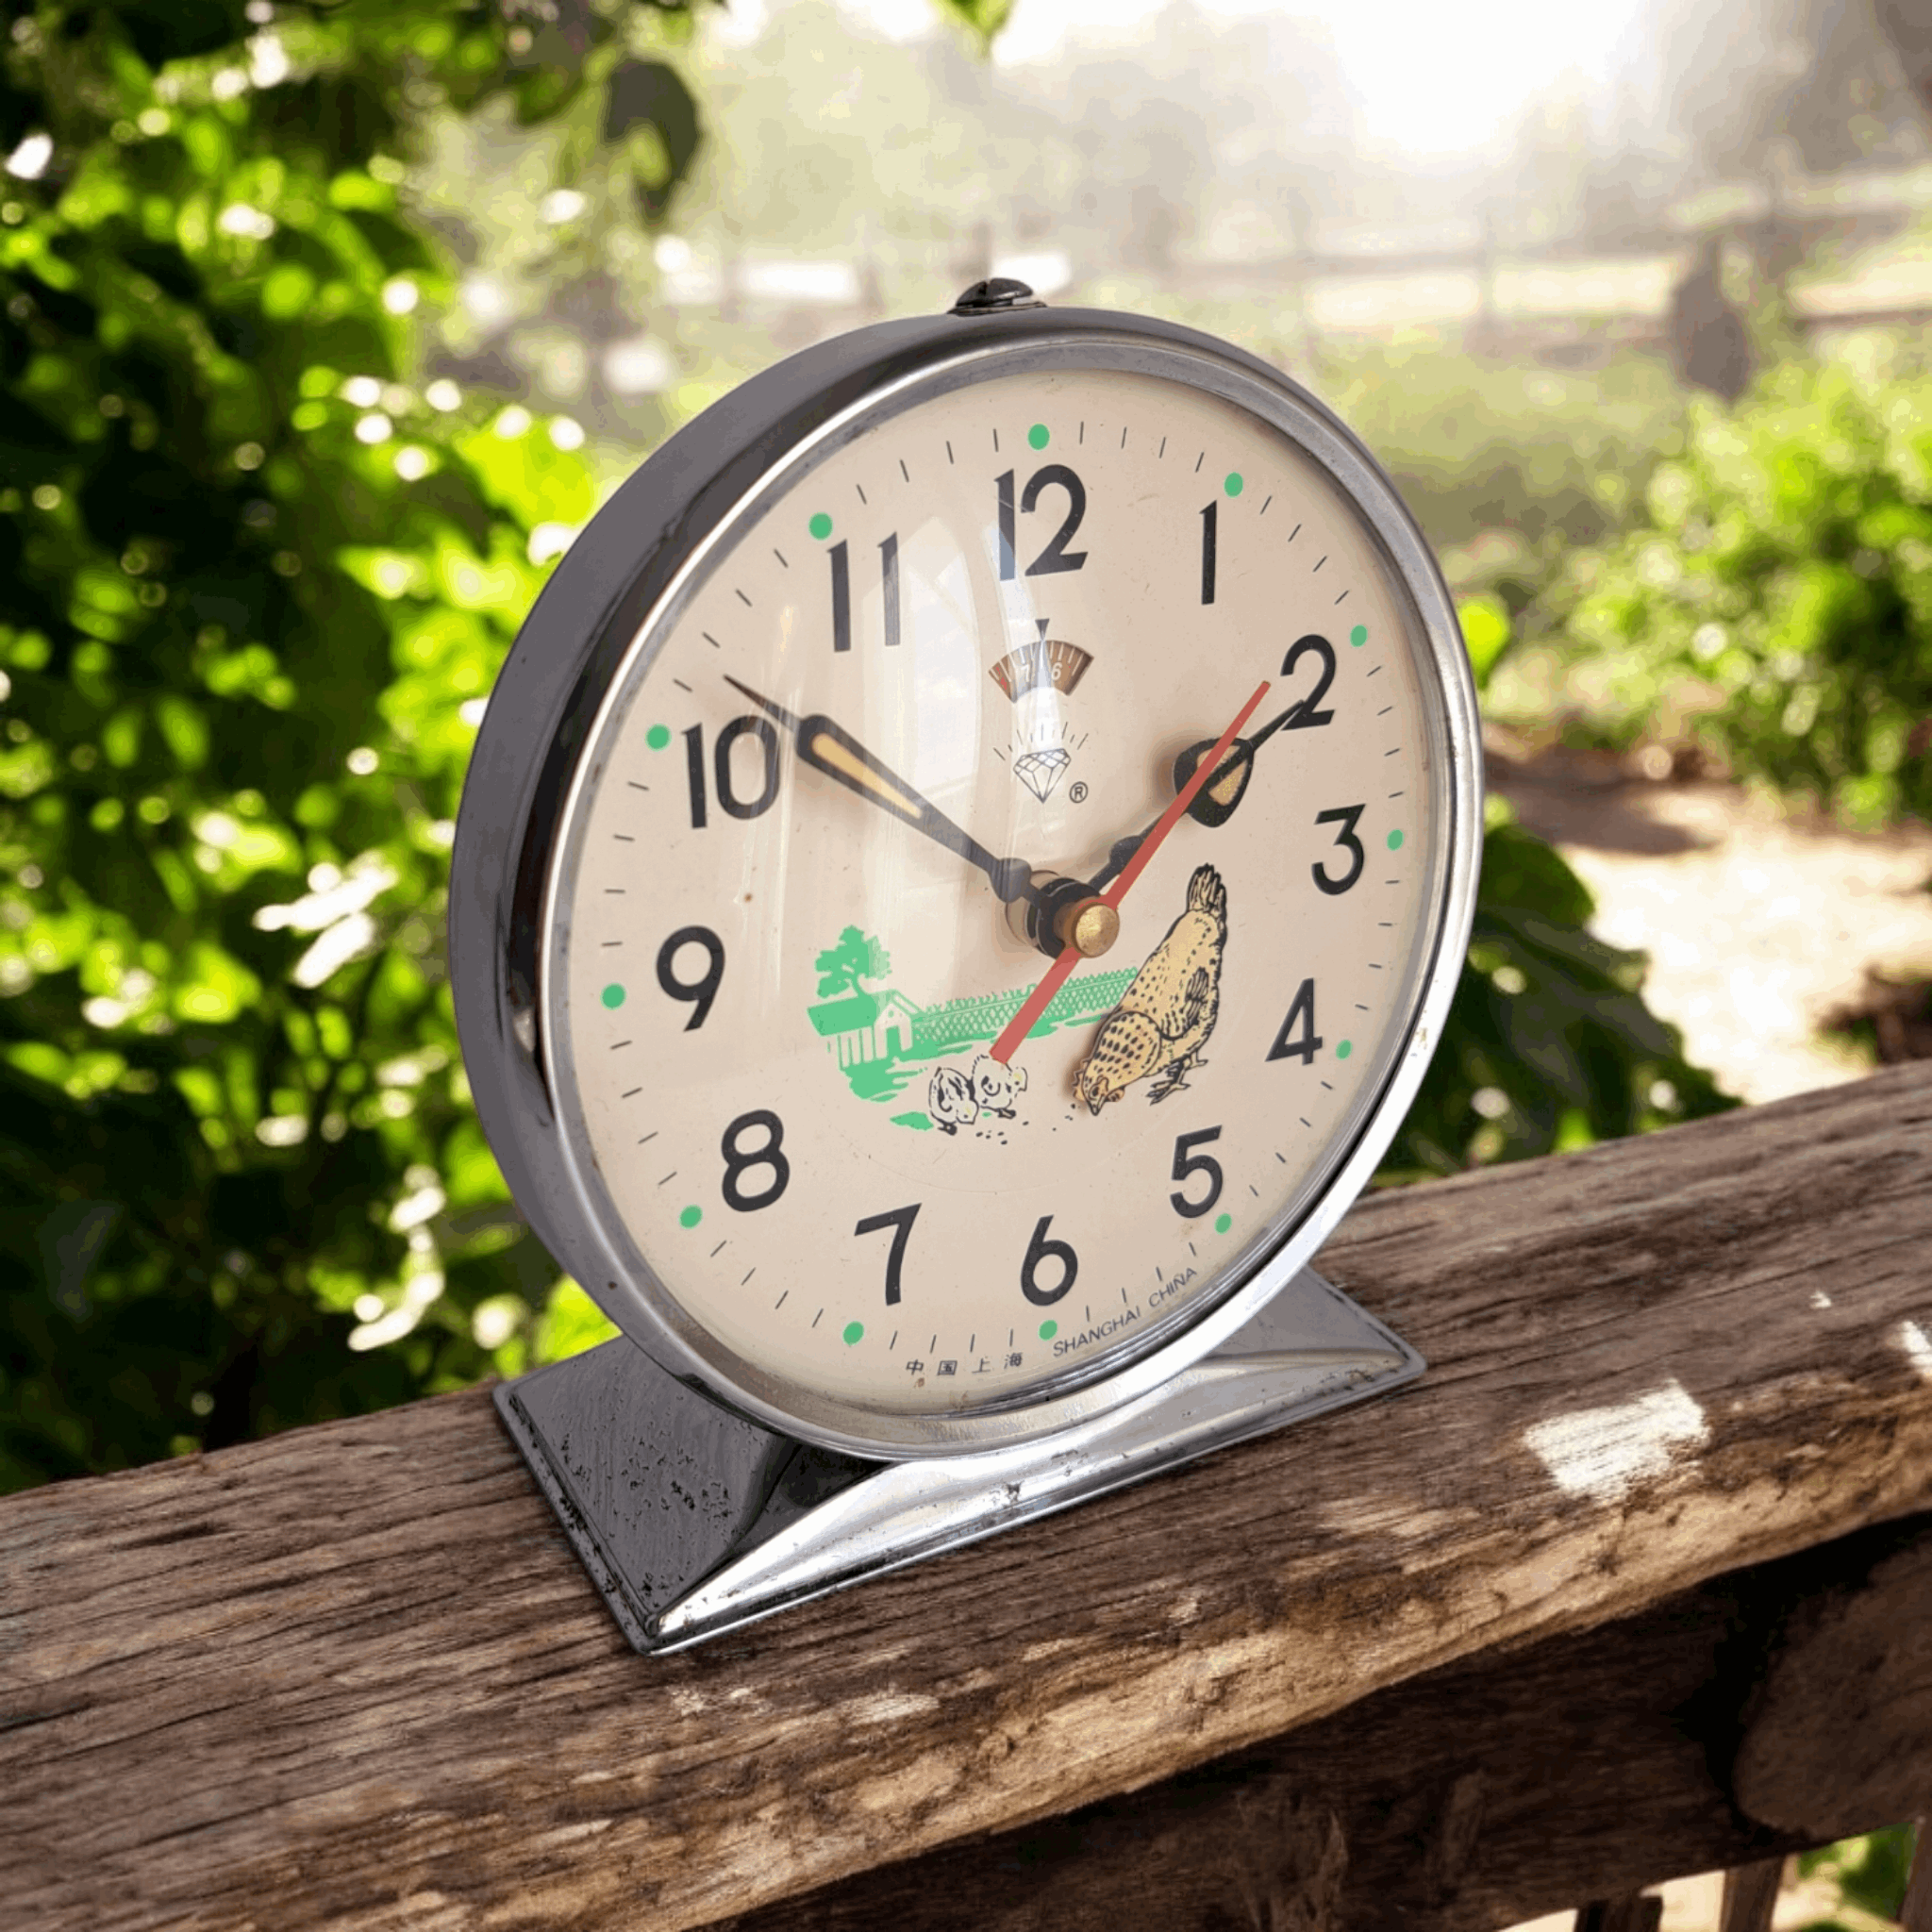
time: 1:51
